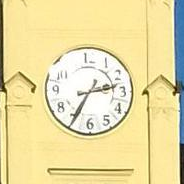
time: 2:35
